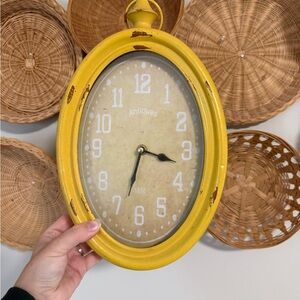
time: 3:33
